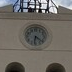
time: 6:21
